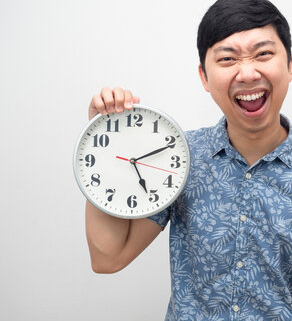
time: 5:11
